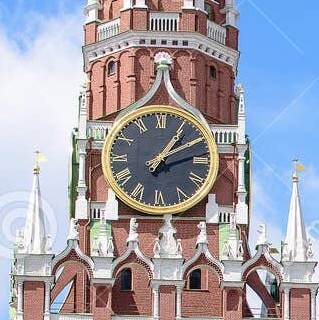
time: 1:10
